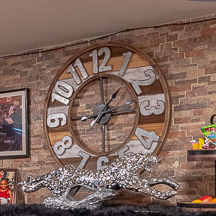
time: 1:14
